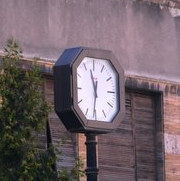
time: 11:31
